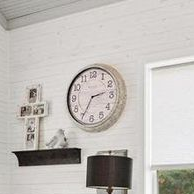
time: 2:34
